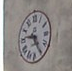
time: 9:25
